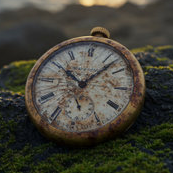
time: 10:07
